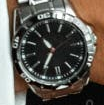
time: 10:35
